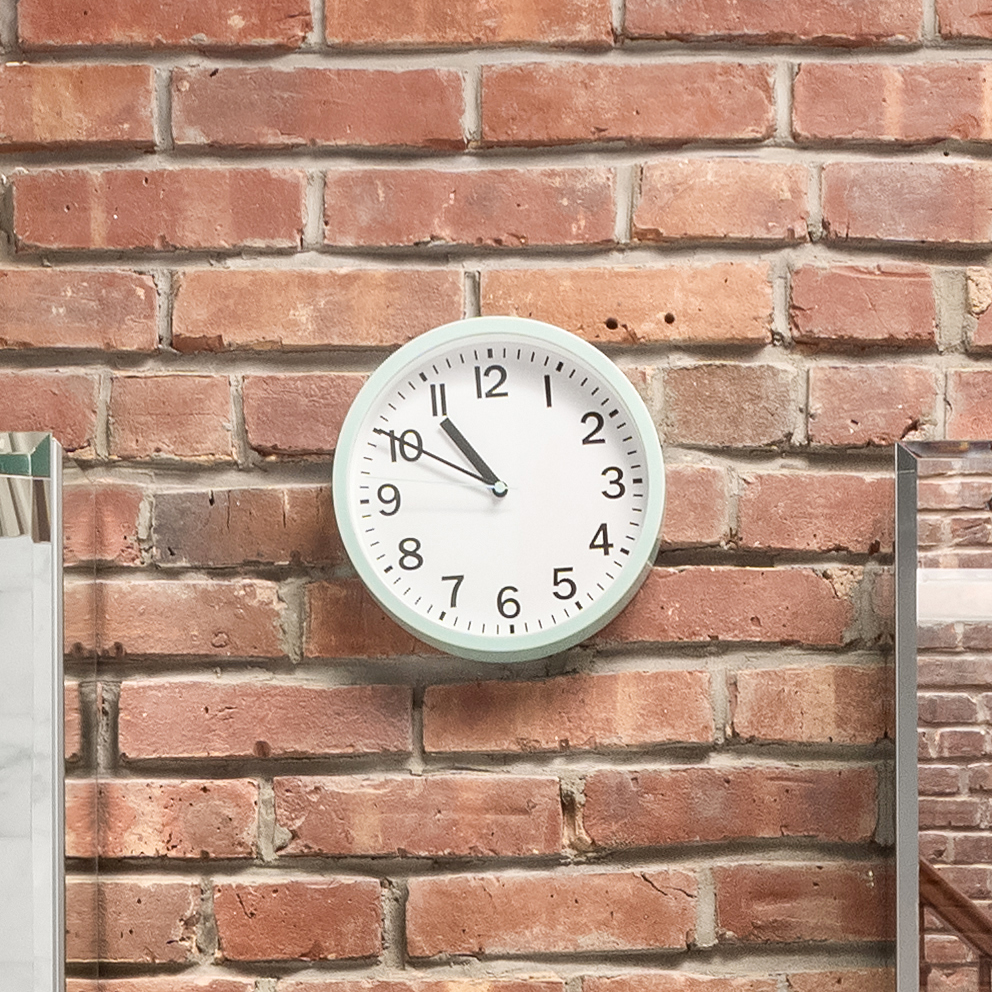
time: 10:50
